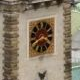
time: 3:40
